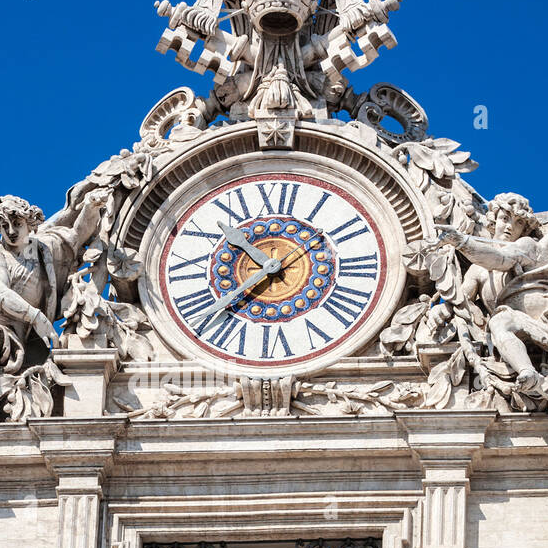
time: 10:37
